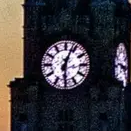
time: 6:03
